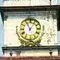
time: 11:06
